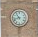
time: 10:42
